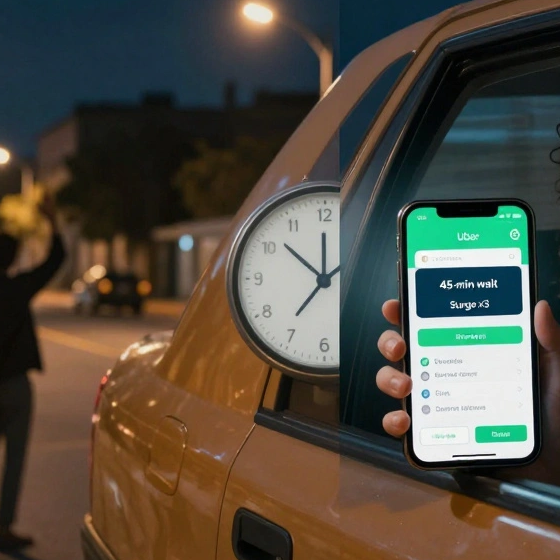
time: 11:51
